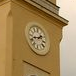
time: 1:42
